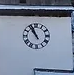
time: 10:56
